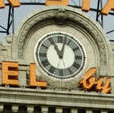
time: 11:02
